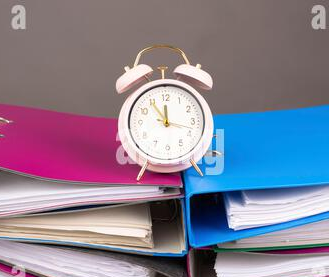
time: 11:54
